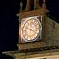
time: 3:48
